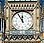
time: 11:54
